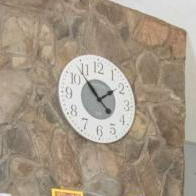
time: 1:53
